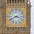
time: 3:40
